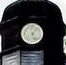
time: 5:06
